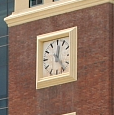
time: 12:23
